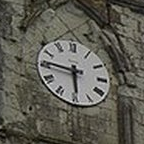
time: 5:46
